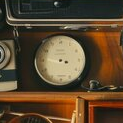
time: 3:46
